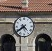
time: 4:39
